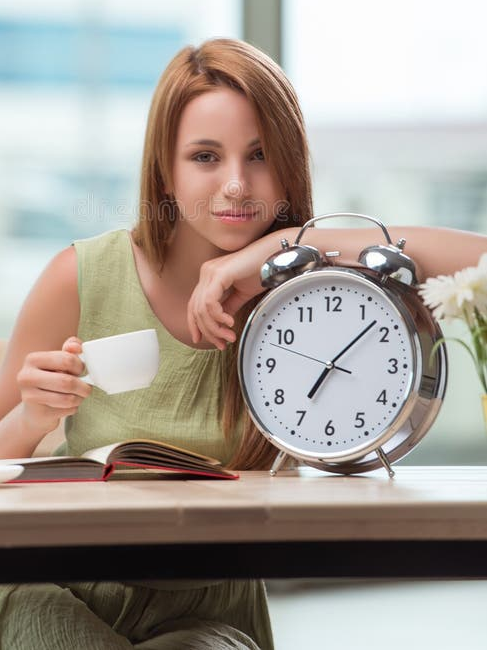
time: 7:07
